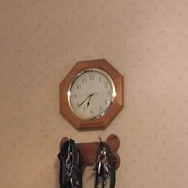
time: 6:38
